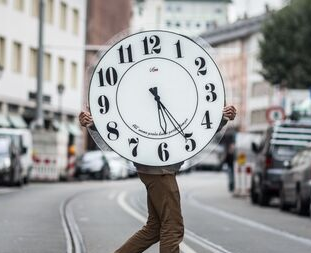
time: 5:24
